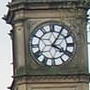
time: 4:05
